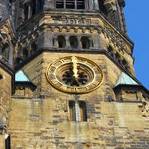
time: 11:59
